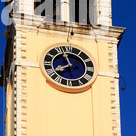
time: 7:57
